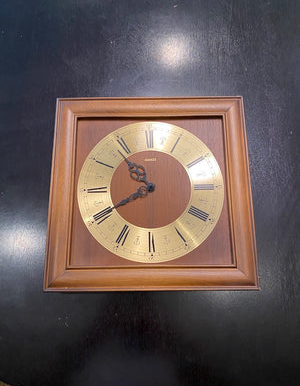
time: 10:40
